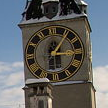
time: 3:05
